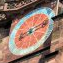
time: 8:12
